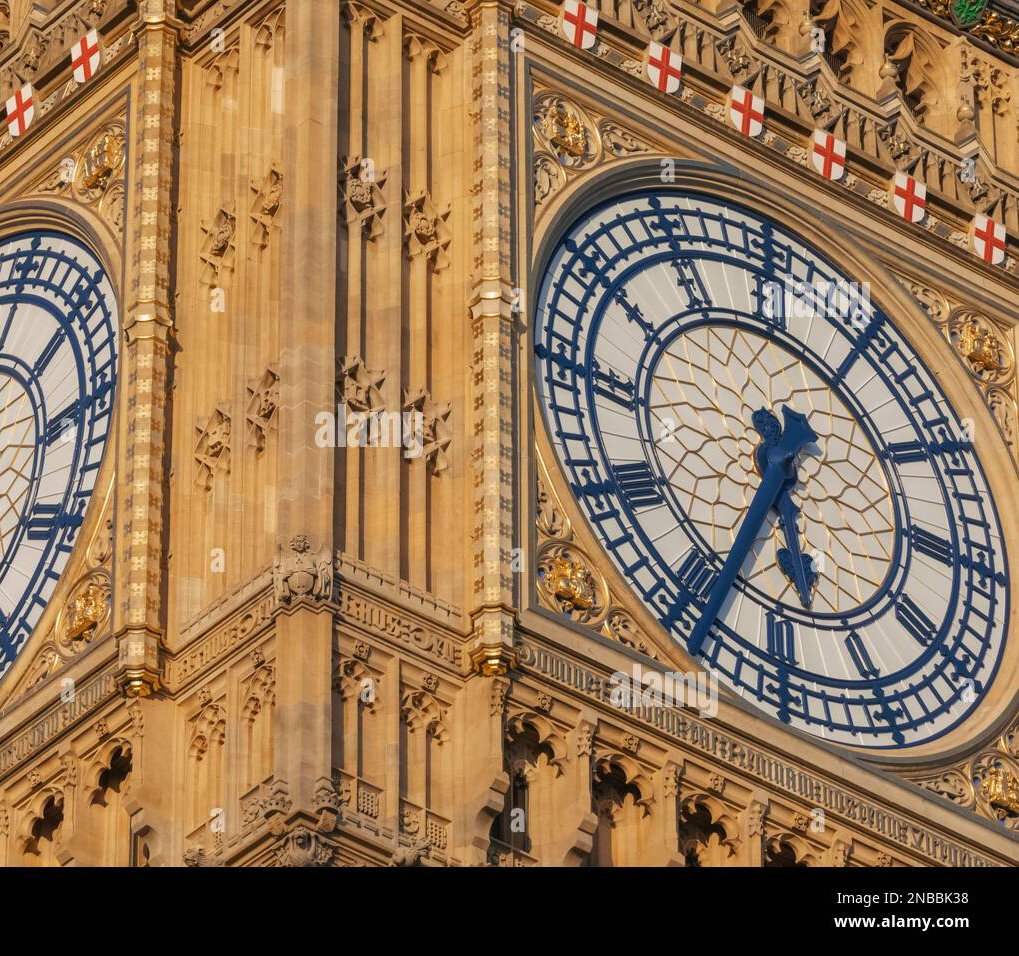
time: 5:33
